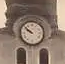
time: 9:51
